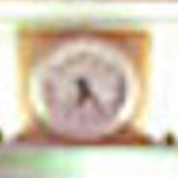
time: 6:23
